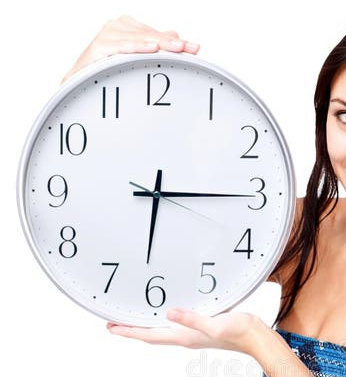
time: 6:15
